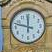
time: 11:47
